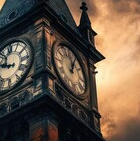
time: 12:05
